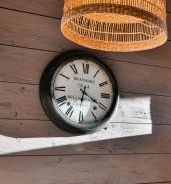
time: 6:19
